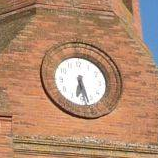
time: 6:27
